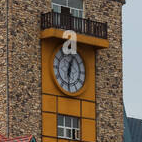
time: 12:30
